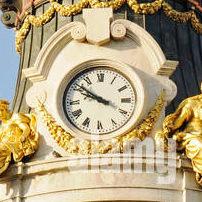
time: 9:51
